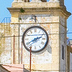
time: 2:40
